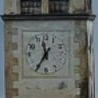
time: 11:35
